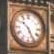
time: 10:25
